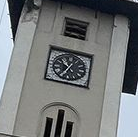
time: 10:34
